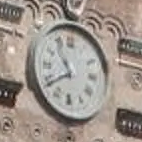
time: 10:39
